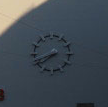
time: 7:41
